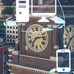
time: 7:13
